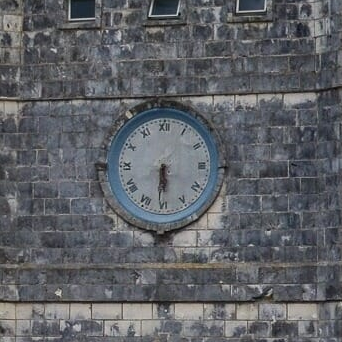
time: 5:30
